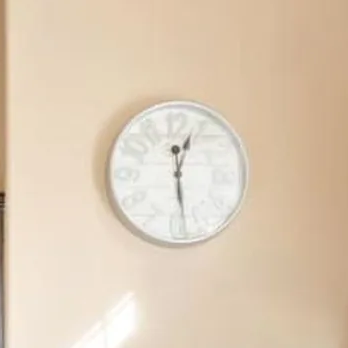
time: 12:28
